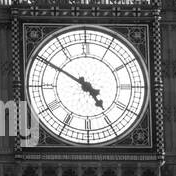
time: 4:50
